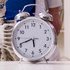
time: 5:41
